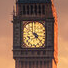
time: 4:22
